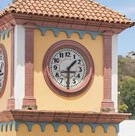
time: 1:30
